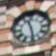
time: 11:28
